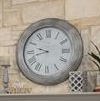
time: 9:42
